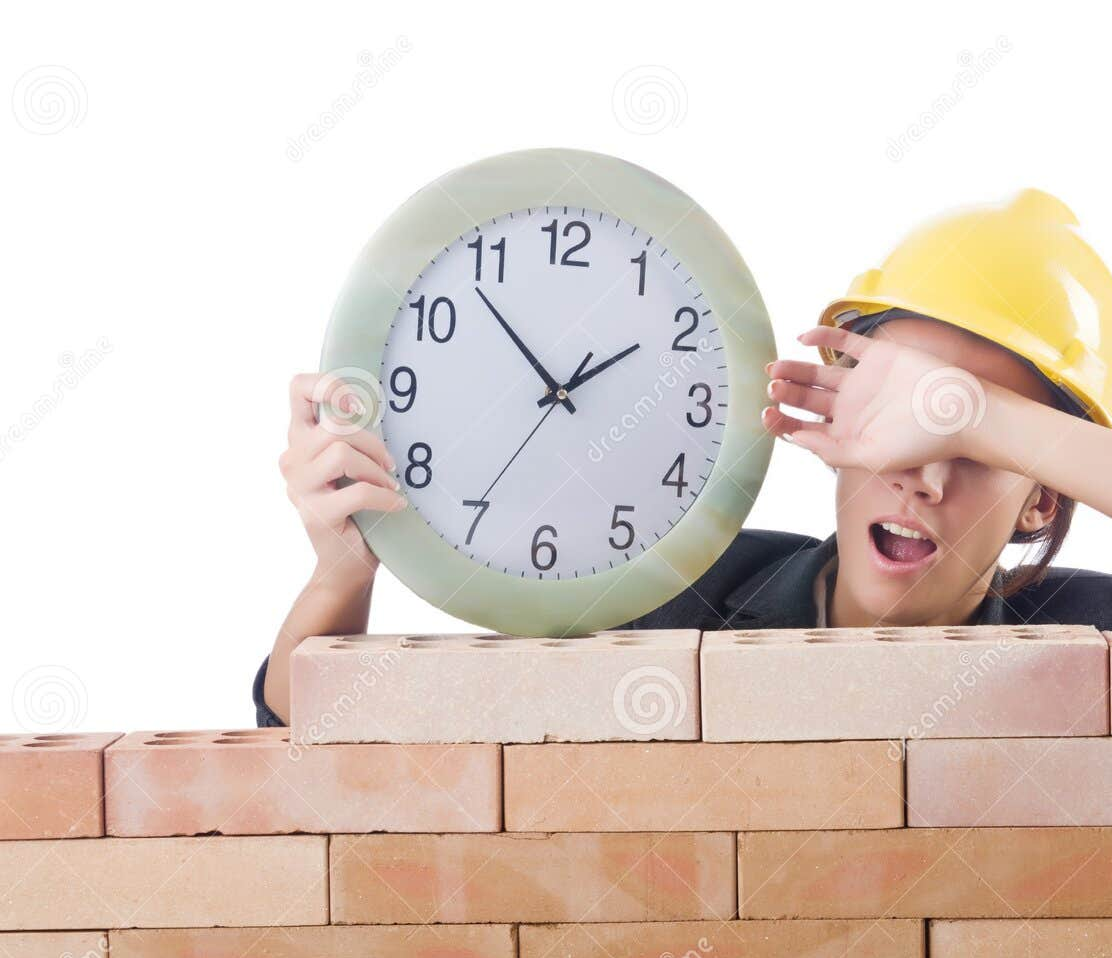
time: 1:53
